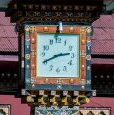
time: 2:40
